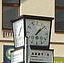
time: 1:07
